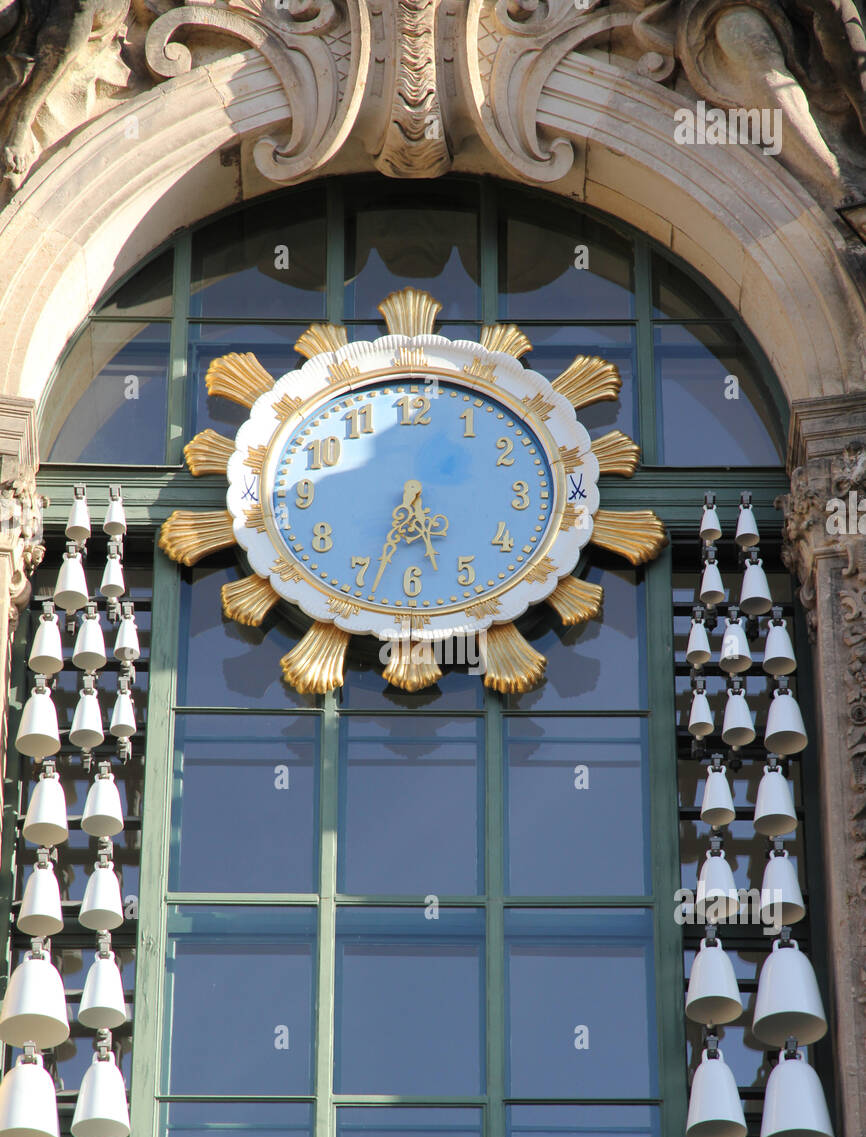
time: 5:33
